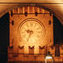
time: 9:34
